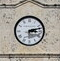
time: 3:12
